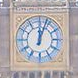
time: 12:03
